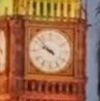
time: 9:52
